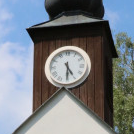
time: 4:29
